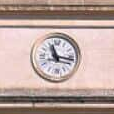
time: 11:16
